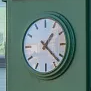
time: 1:22
